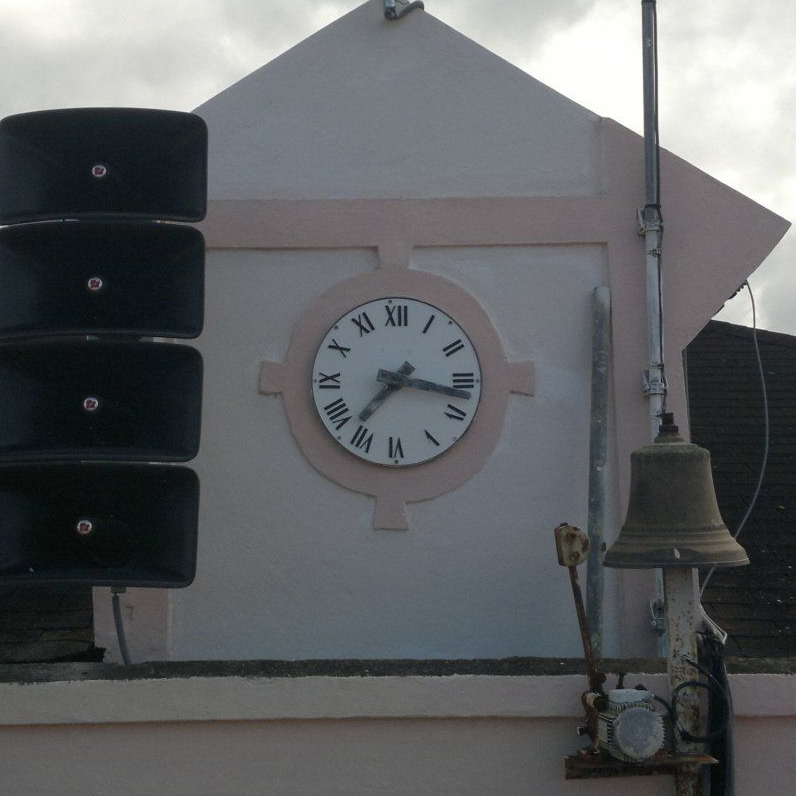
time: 7:17
